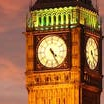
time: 4:25
